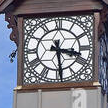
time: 3:28
